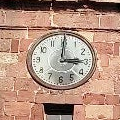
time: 3:00
